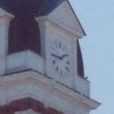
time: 1:46
